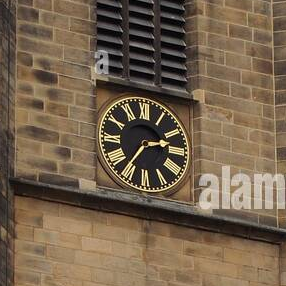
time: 2:36
